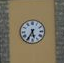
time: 5:35
